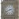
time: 2:40
